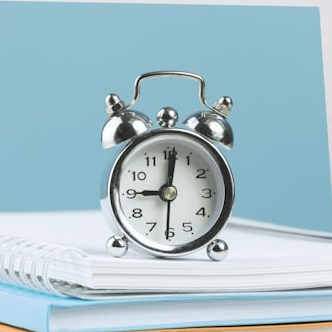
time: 9:01
